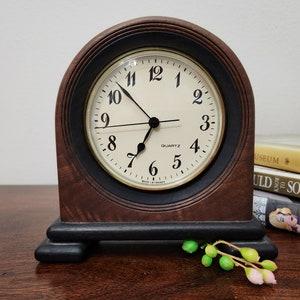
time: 6:52
